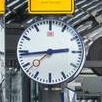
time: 2:44
